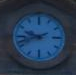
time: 9:42
